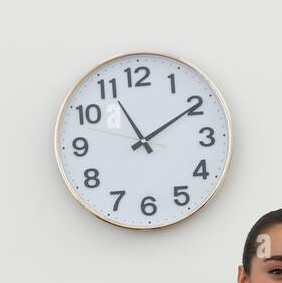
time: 11:09
